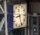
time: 8:25
